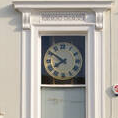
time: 7:50
